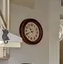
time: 10:41
